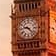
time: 9:22
